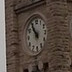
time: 10:54
